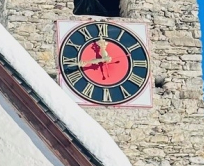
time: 11:42
